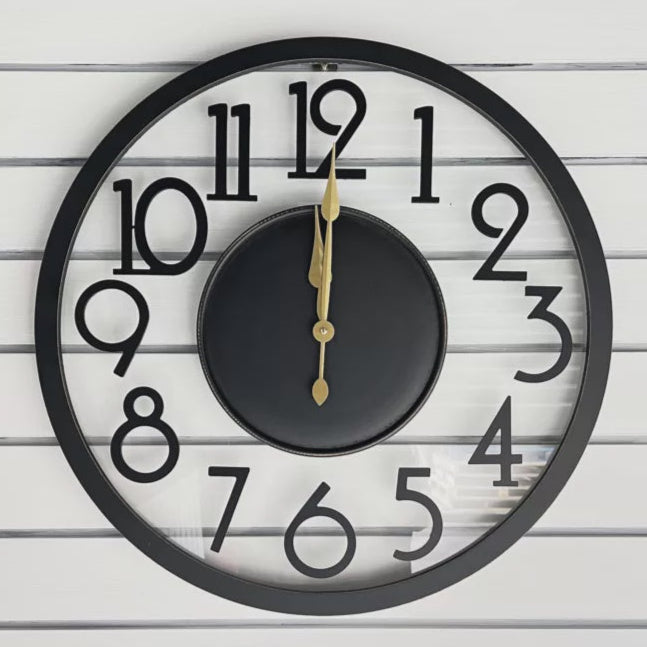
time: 12:00
